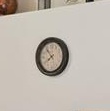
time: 7:53
